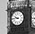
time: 9:43
